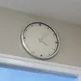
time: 4:06
